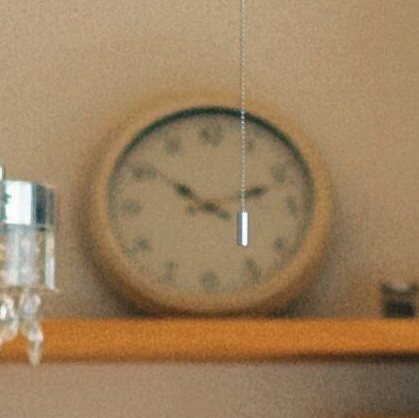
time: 10:12
